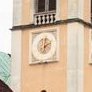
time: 2:01
